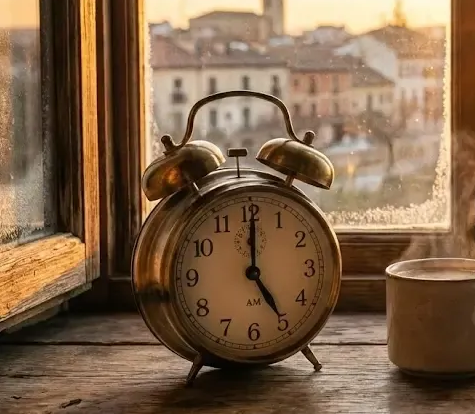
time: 5:00
